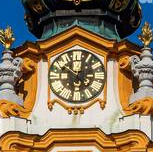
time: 12:52
